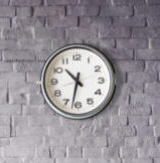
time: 10:32
